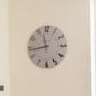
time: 11:43
